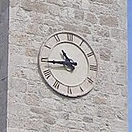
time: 10:44
